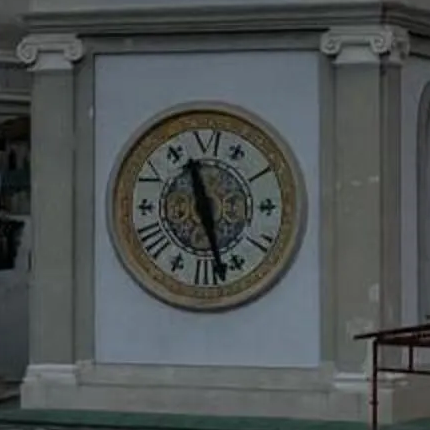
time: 11:28
